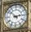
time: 2:52
